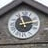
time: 11:13
